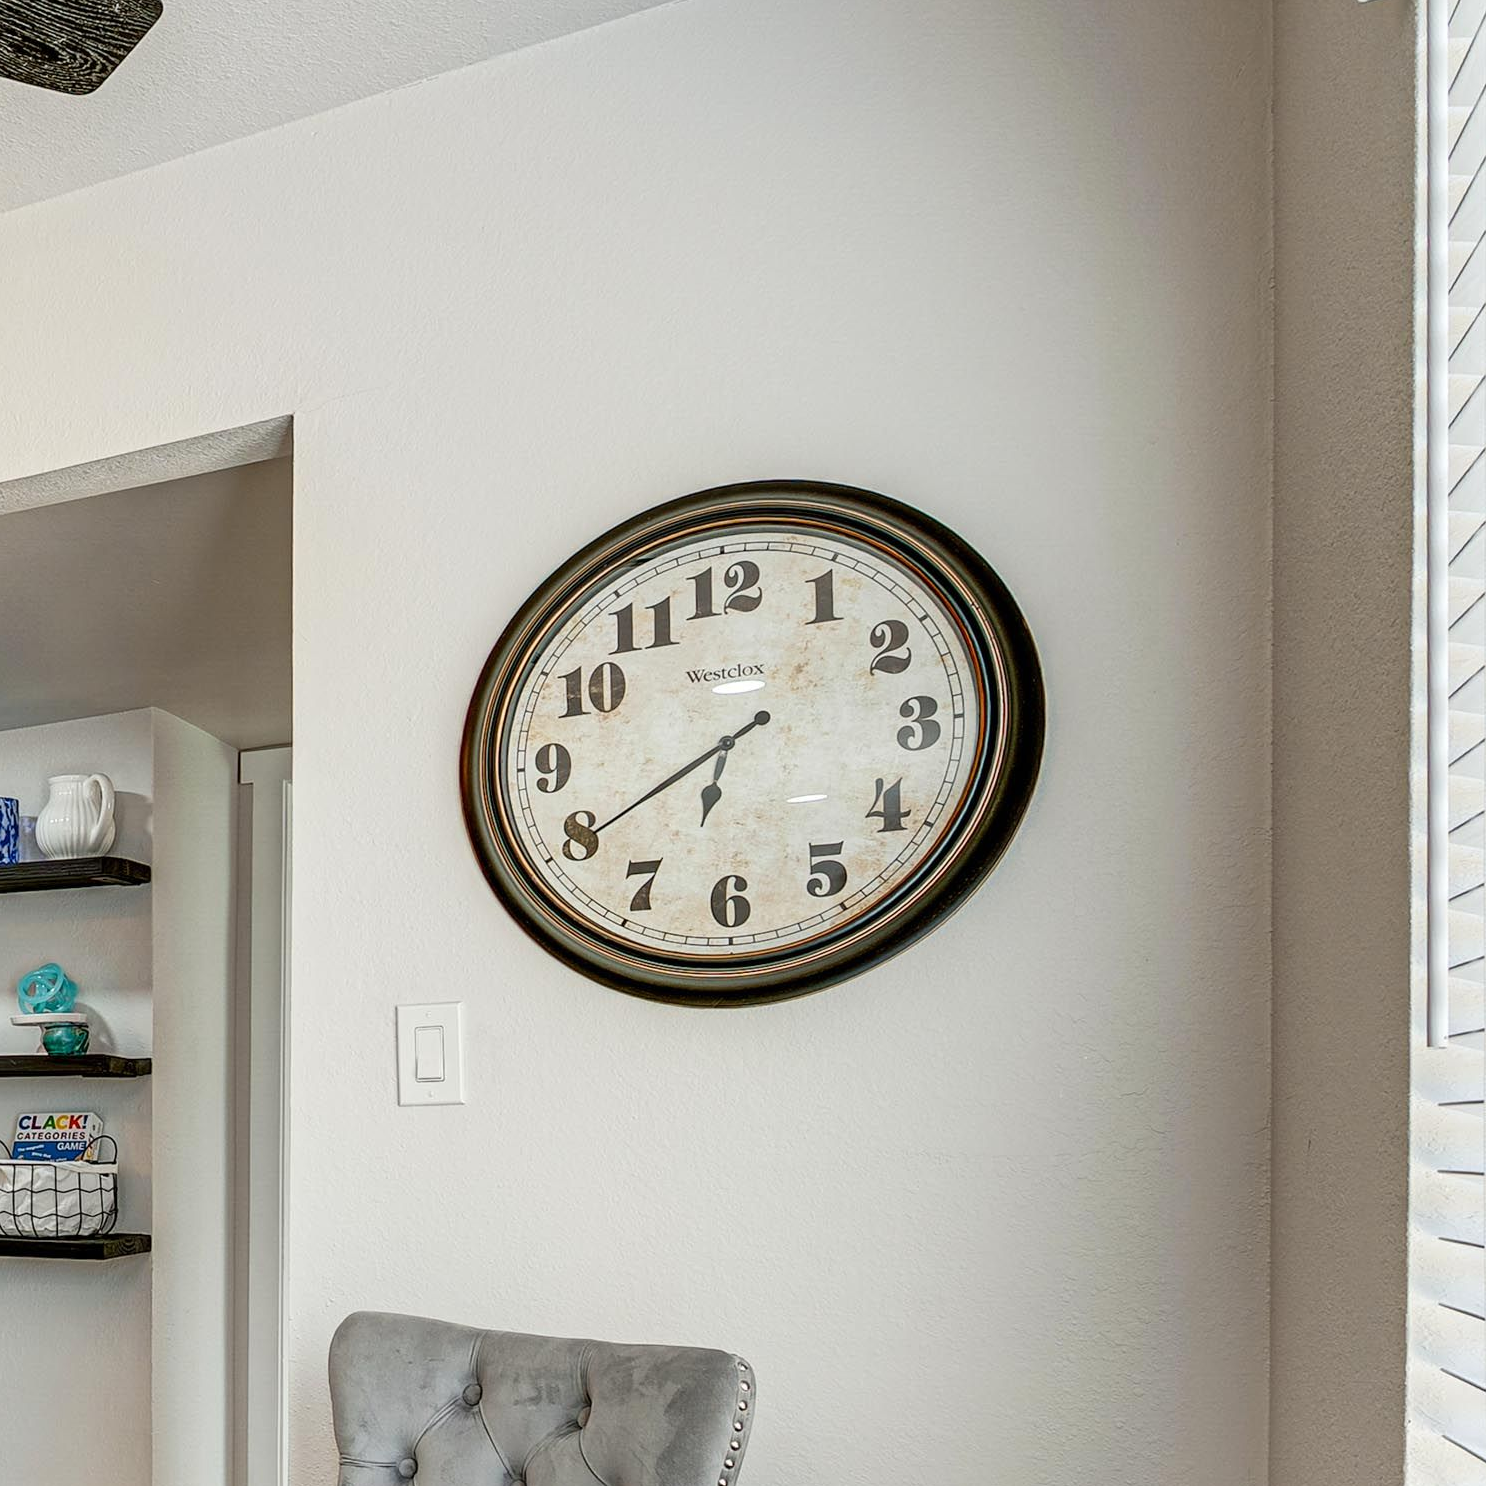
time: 6:39
